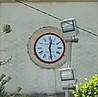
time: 12:28
